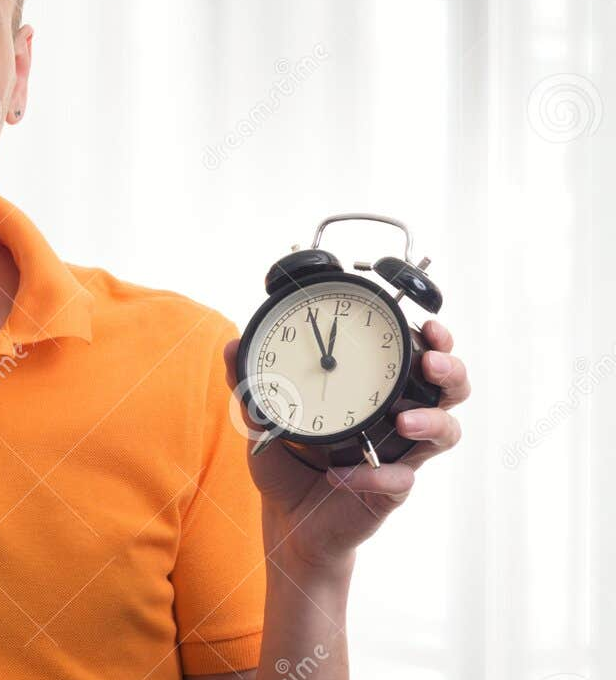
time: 11:55
